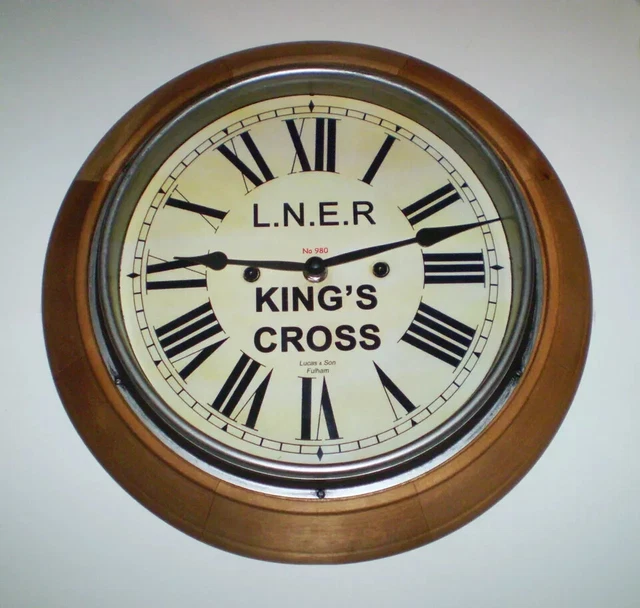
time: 9:12
